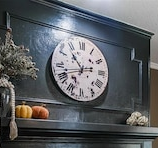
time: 10:42
